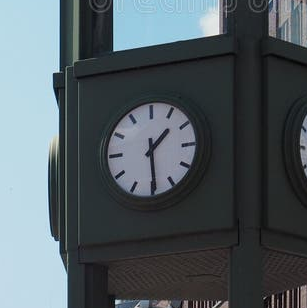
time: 1:29
